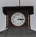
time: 3:14
